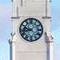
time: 9:42
